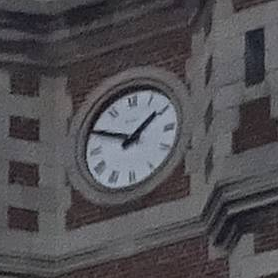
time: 1:49
